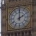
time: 2:00
